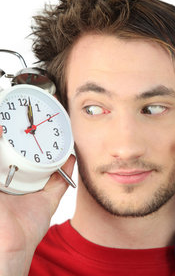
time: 12:01
